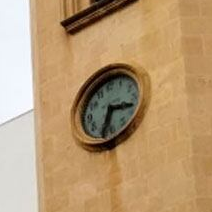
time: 3:34
